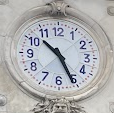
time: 10:25
